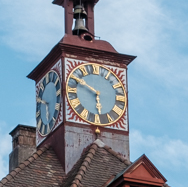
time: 5:50
